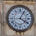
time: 4:04
